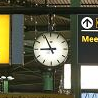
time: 8:56
